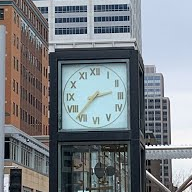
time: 2:36
